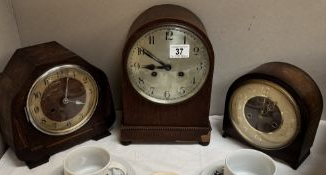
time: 8:50
